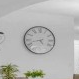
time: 4:42
